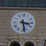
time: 3:28
